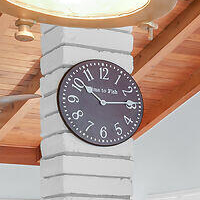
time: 10:14
